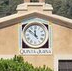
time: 11:52
